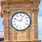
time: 12:48
